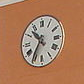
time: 10:35
